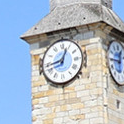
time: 12:43
